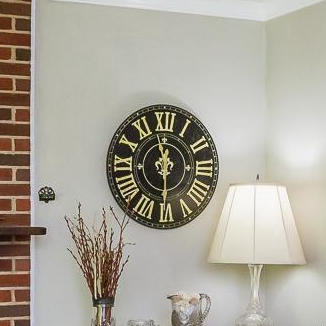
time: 11:29
